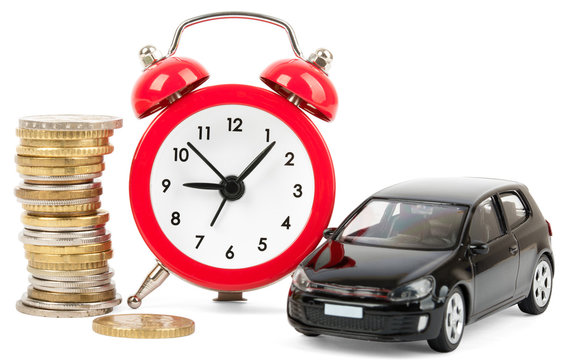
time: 9:07
